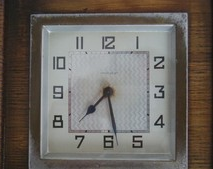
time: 7:28
